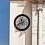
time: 11:41
